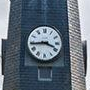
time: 3:43
